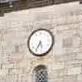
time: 5:35
